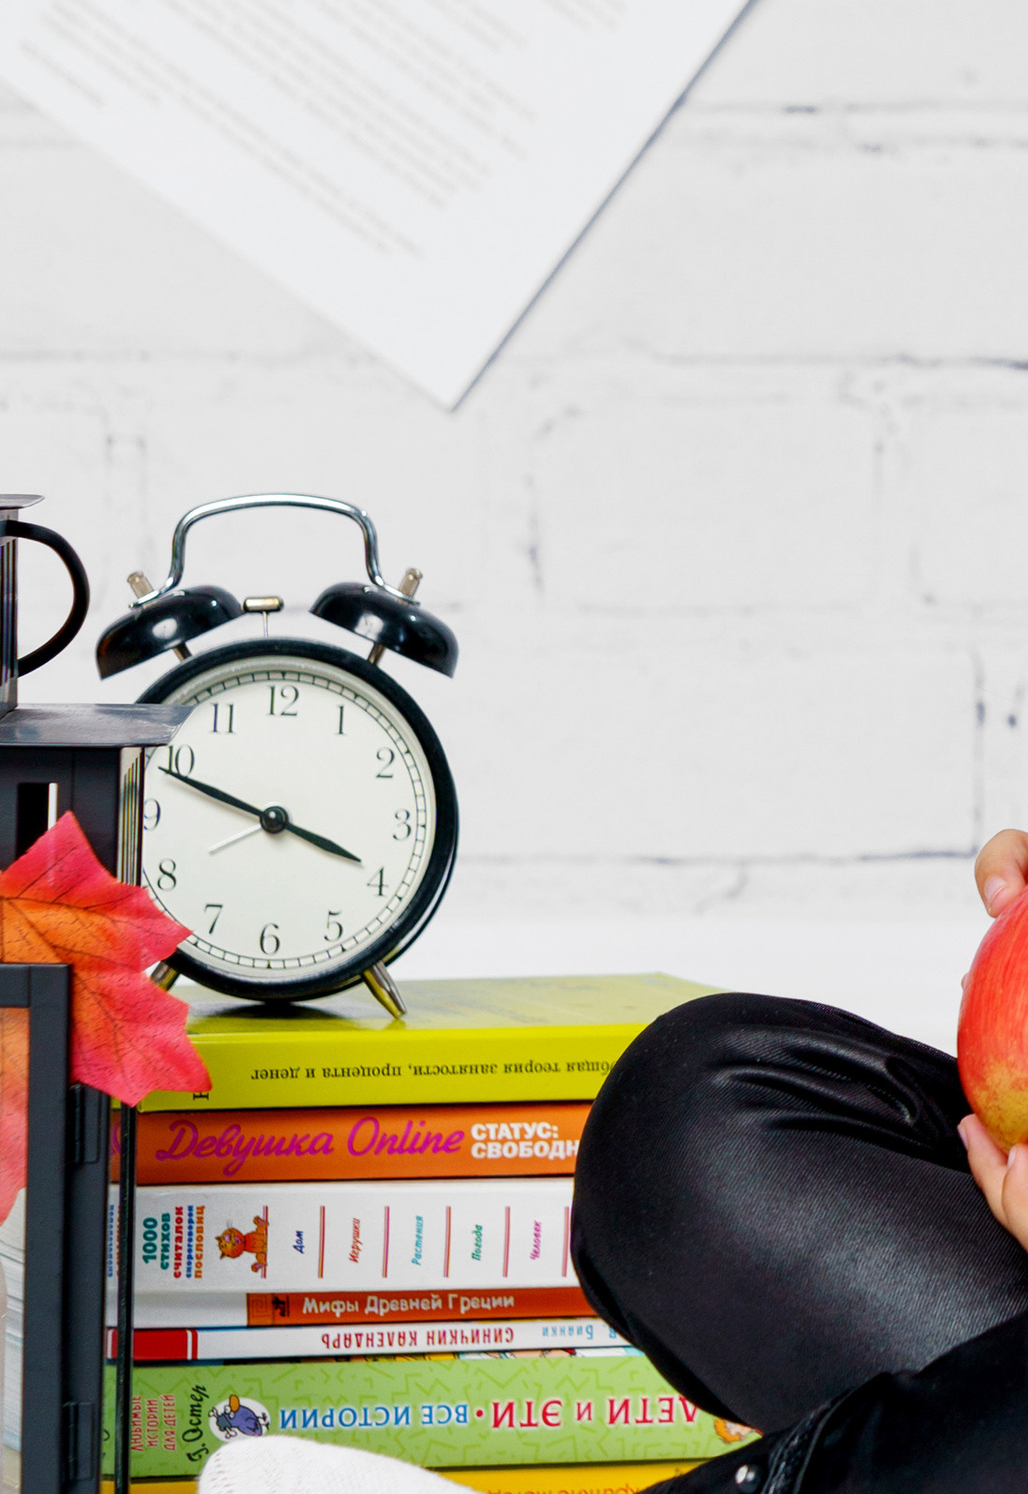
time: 3:48
